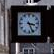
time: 3:26
